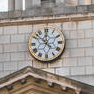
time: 11:52
